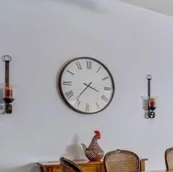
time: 3:36
